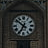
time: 6:51
